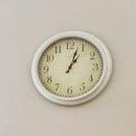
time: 1:03
